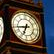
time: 6:43
